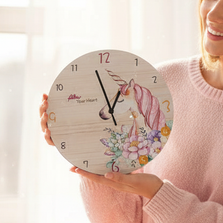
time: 12:57
